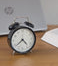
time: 4:38
